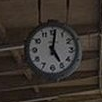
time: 5:01
